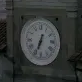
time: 6:33
